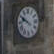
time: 9:50
